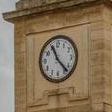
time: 11:23
